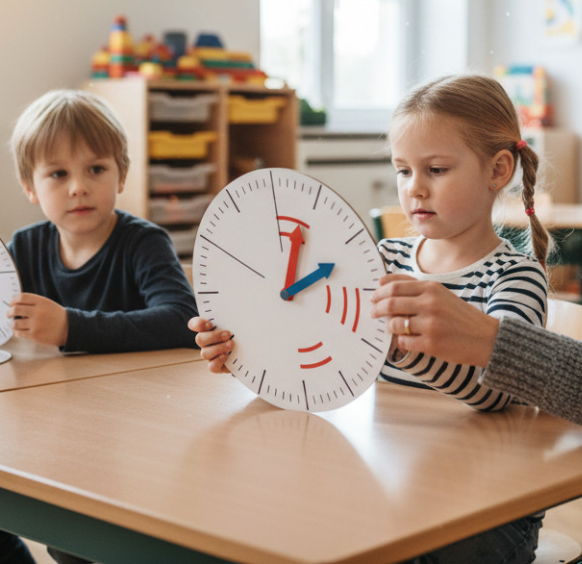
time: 2:03
